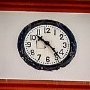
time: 10:23
